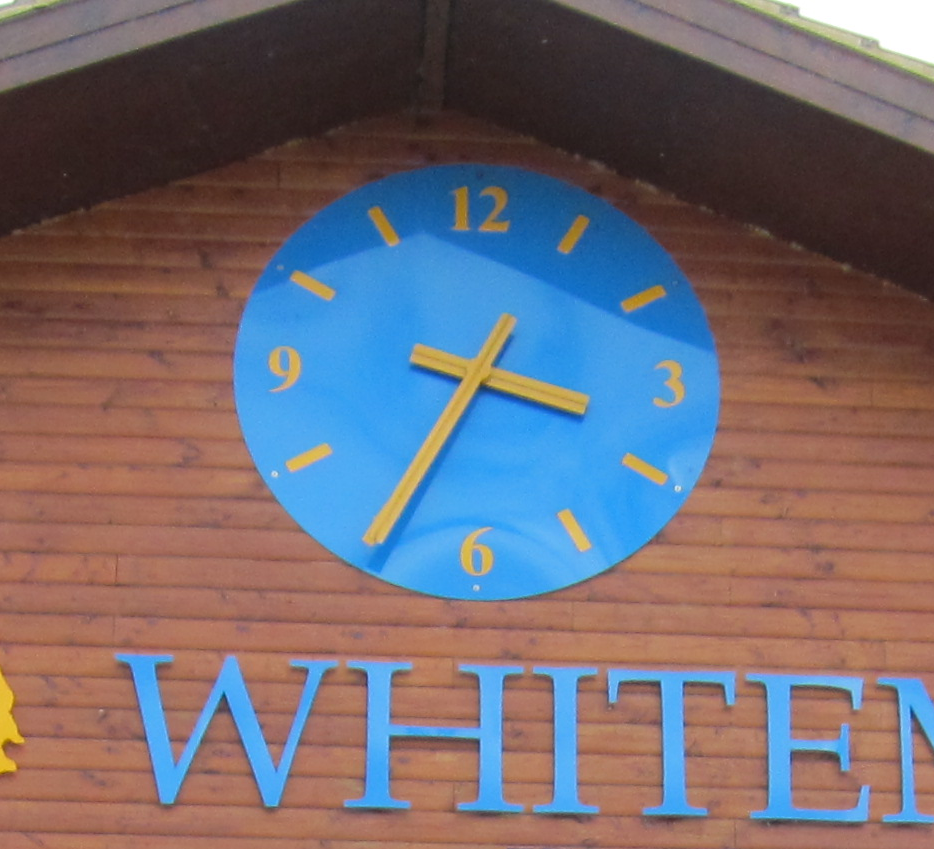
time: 3:34
